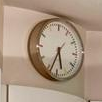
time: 5:33
